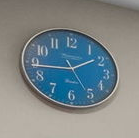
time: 1:44
